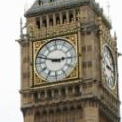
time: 2:48
